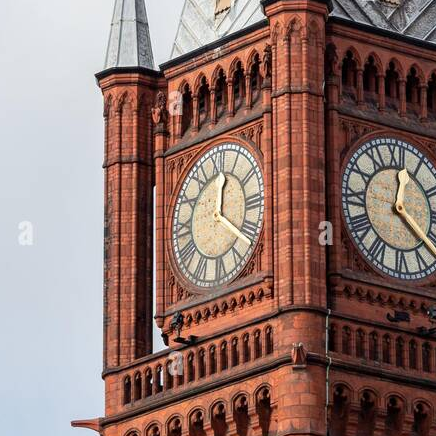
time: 12:21
